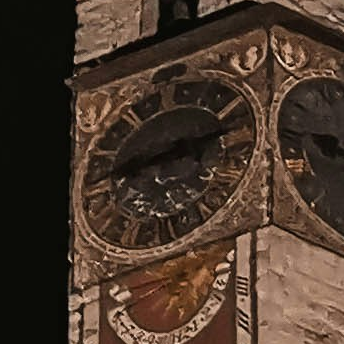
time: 8:12
